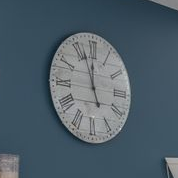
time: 11:56
